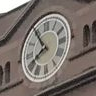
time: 7:54
